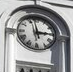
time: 2:58
